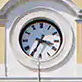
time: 3:34
